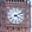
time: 4:10
